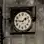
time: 1:46
